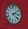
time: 2:21
